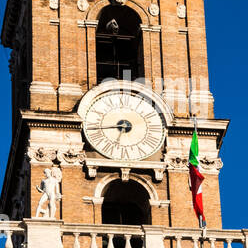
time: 6:43
